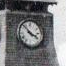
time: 3:52
